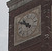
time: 10:50
